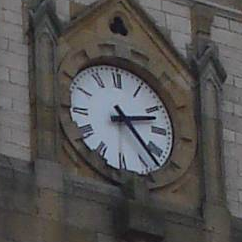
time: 2:22
